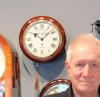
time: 10:07
